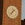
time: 1:37
